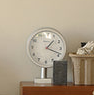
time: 1:18
